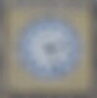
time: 5:12
